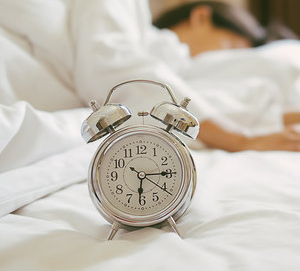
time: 6:14
